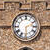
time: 2:29
